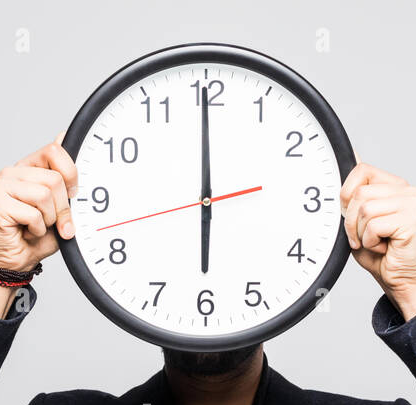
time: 5:59
